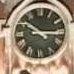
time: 10:14
